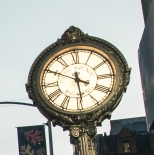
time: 5:49
